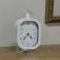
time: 4:37
